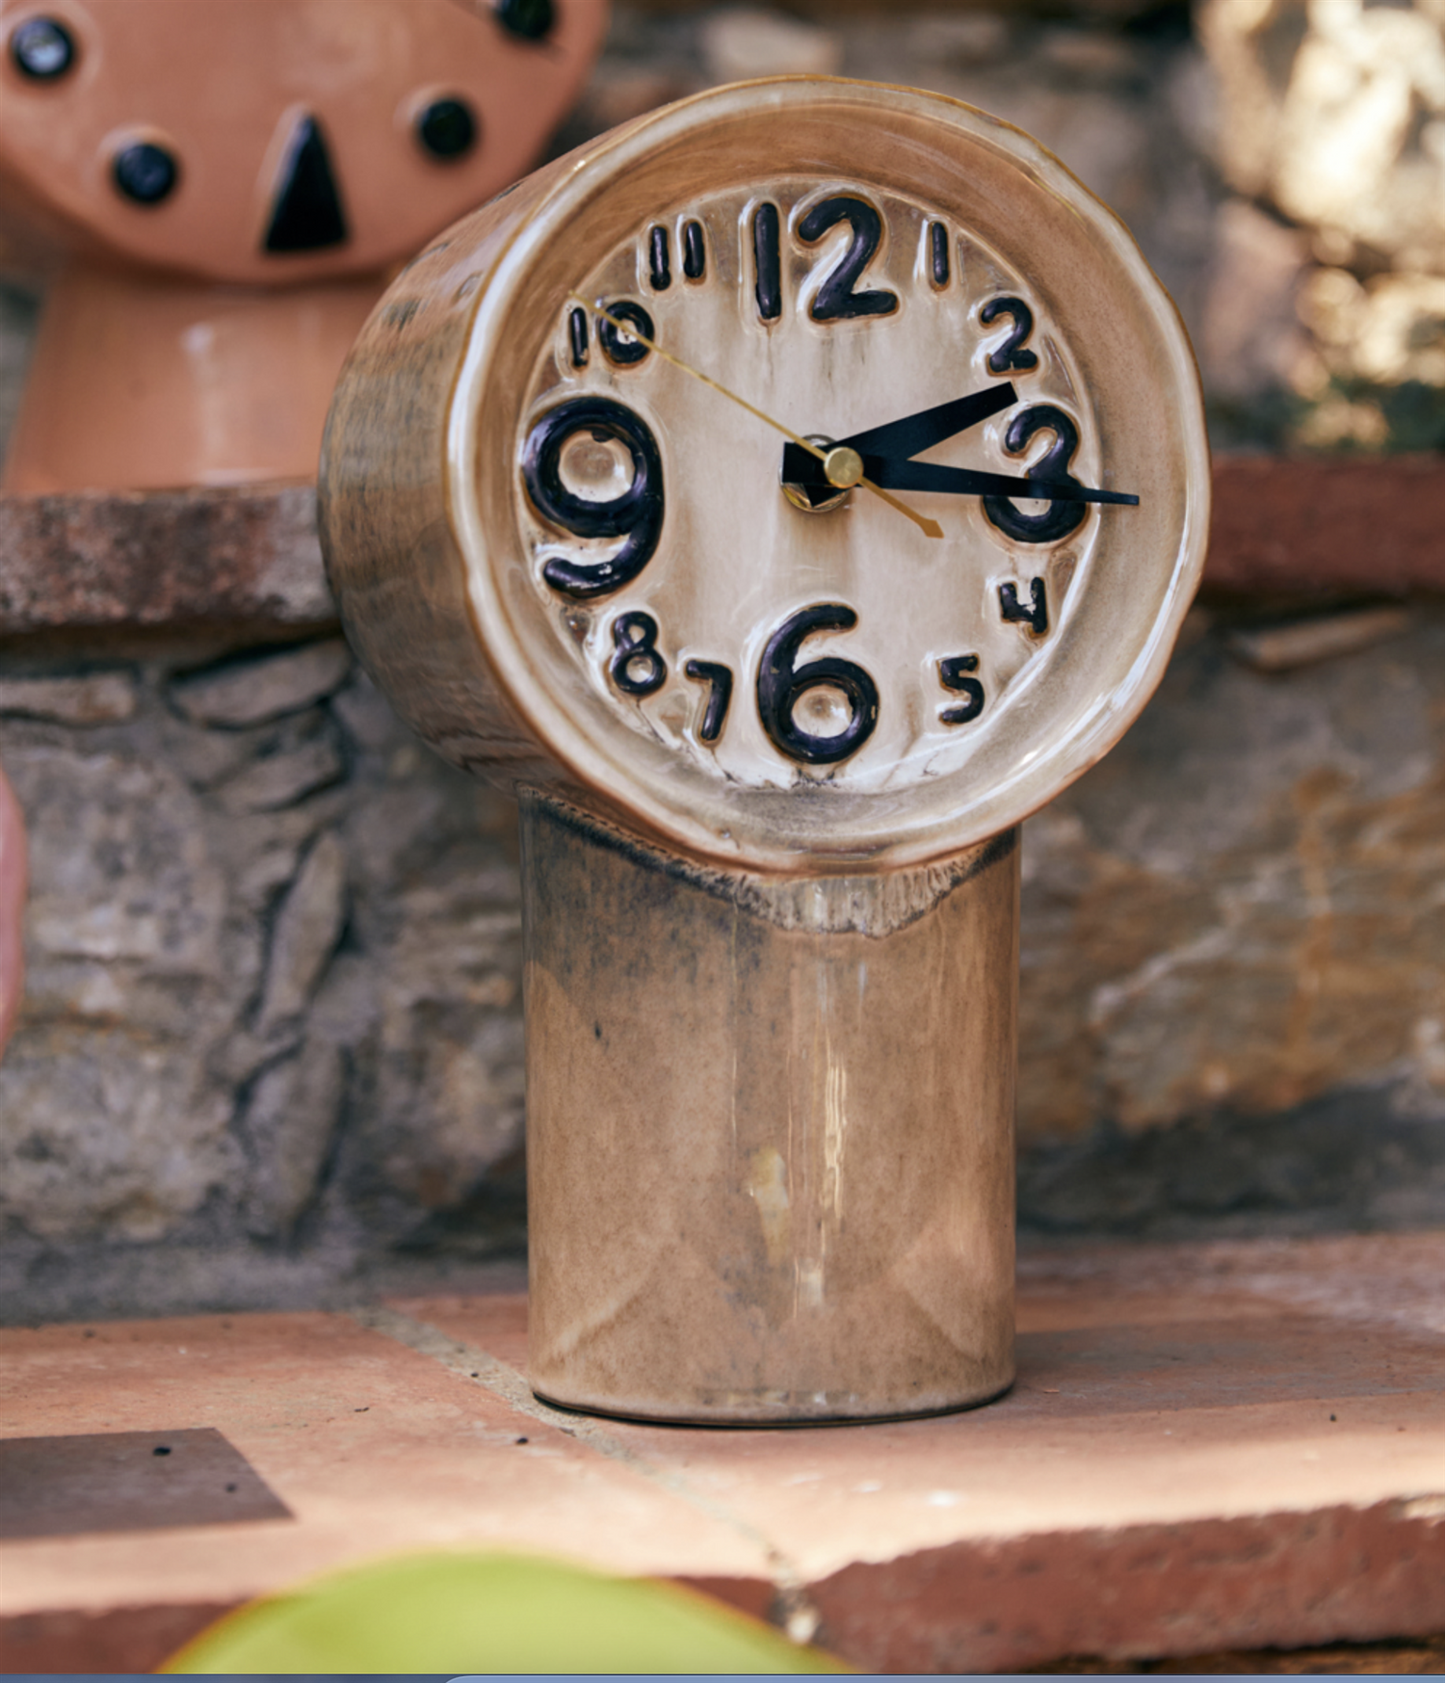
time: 2:16
